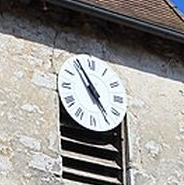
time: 4:55
